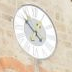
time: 12:52
